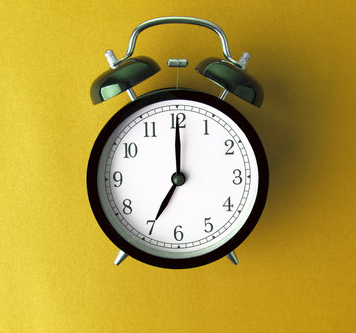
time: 7:00
